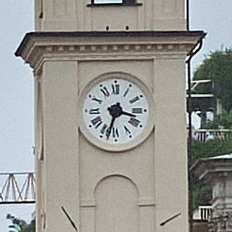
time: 3:32
